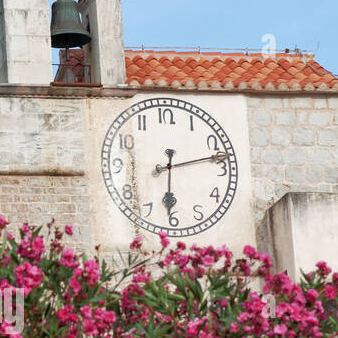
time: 6:13
